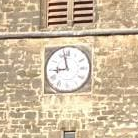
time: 8:57
